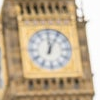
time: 12:05
